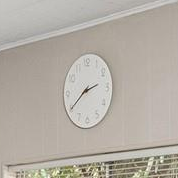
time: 2:40
